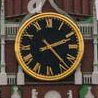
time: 2:23
